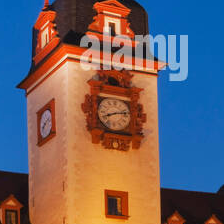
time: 8:12
